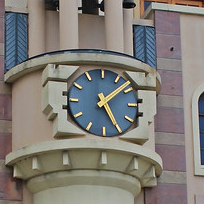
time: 5:08
